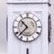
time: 10:37
